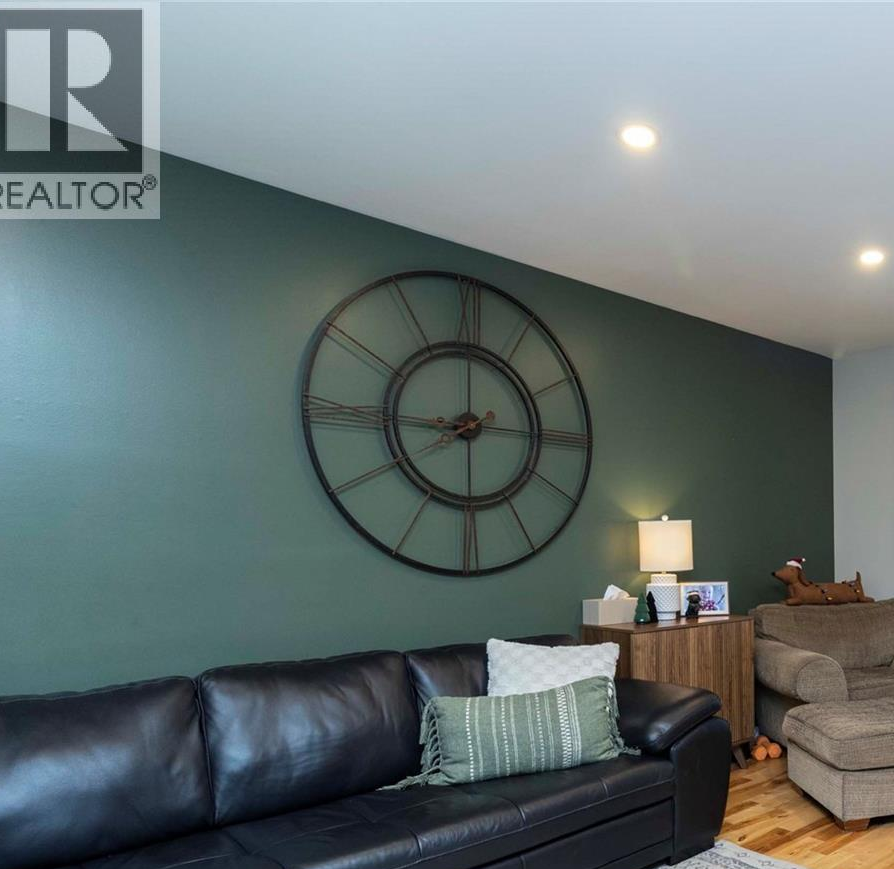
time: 7:44
